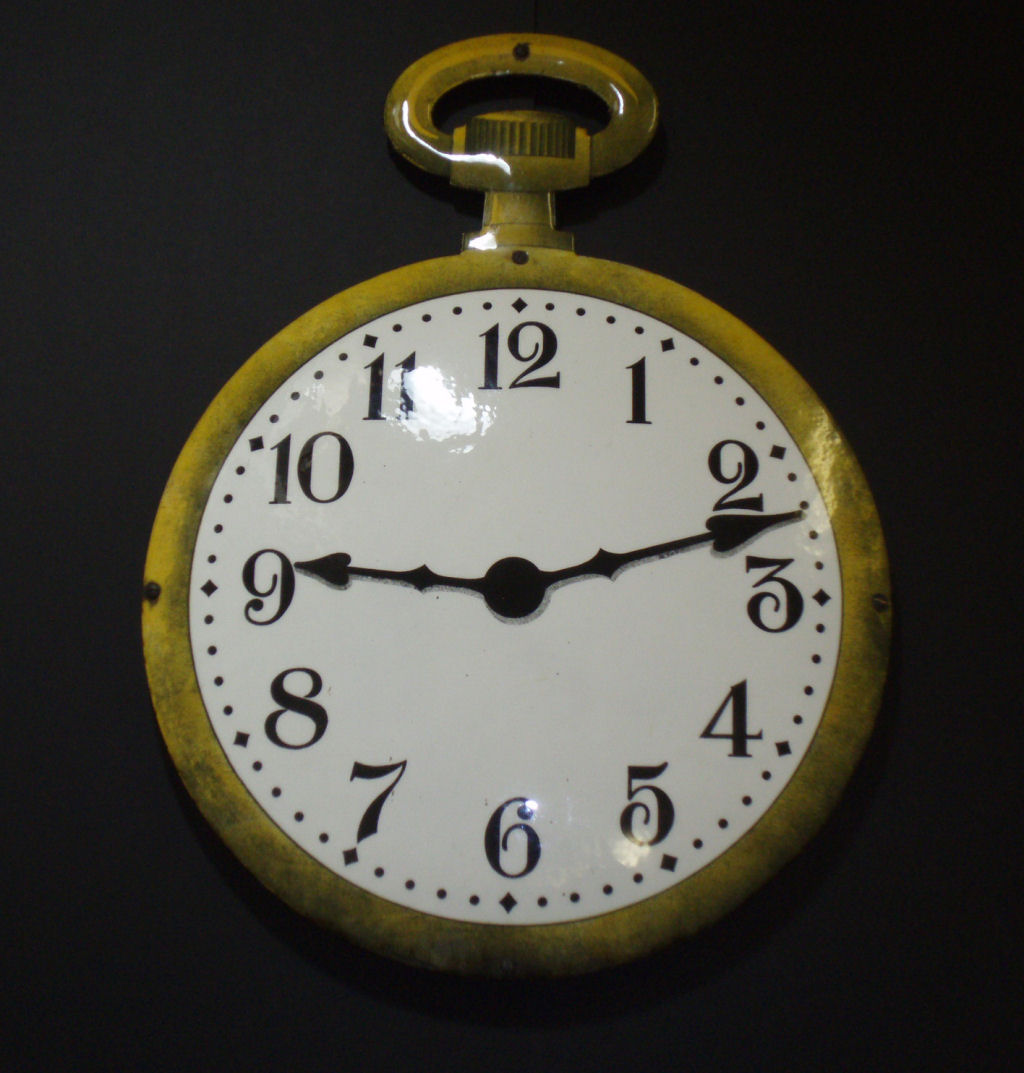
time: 9:12
